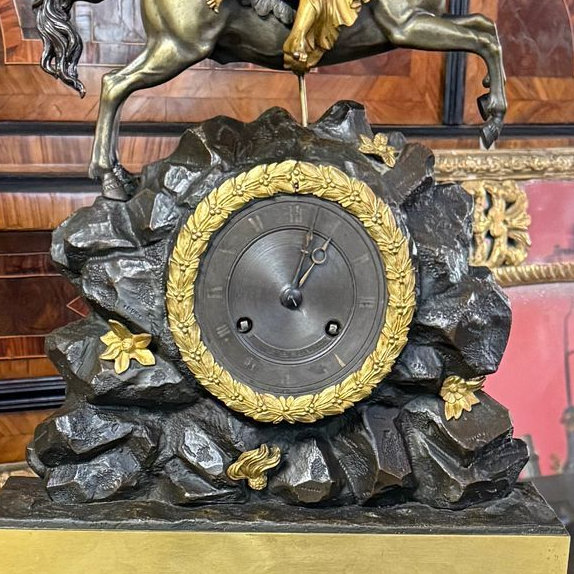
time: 1:02
